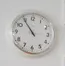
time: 10:54
